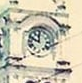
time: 11:48
